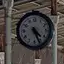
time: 4:26
